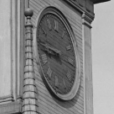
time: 8:45
